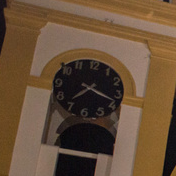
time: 7:18
